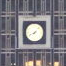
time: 8:07
